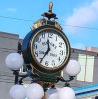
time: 11:34
